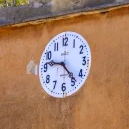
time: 9:23
